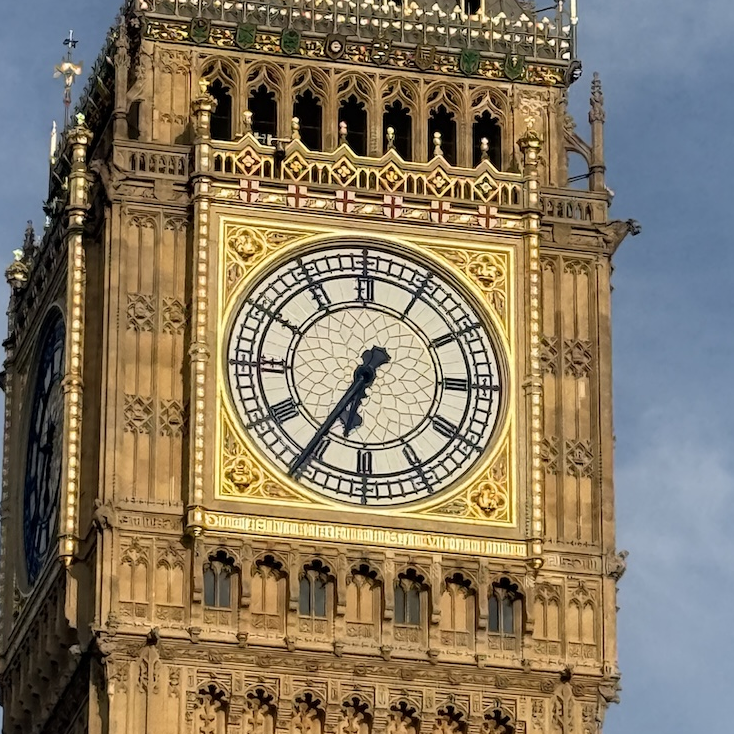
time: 6:35
